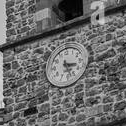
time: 3:27
